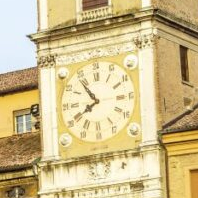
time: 7:53
